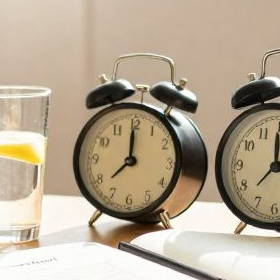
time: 12:00
